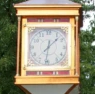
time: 12:07
